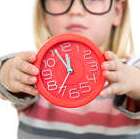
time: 11:55
